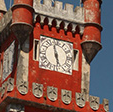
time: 5:58
